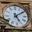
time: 5:09
